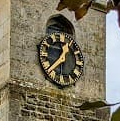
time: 12:38
